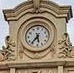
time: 5:36
